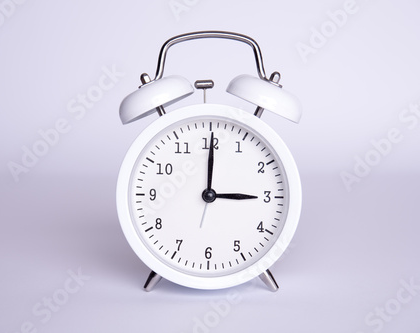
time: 3:00
